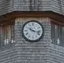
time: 10:17
